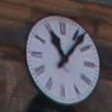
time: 11:06
